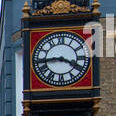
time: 3:43
